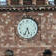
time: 5:34
